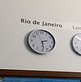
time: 2:28
